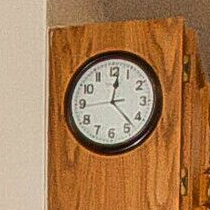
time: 12:22
